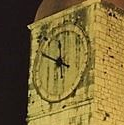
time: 11:49
